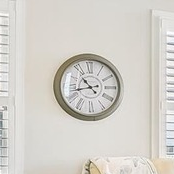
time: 10:42
